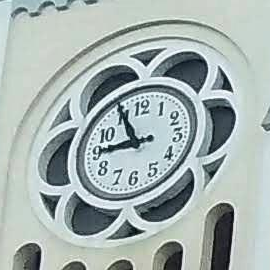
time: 8:55
